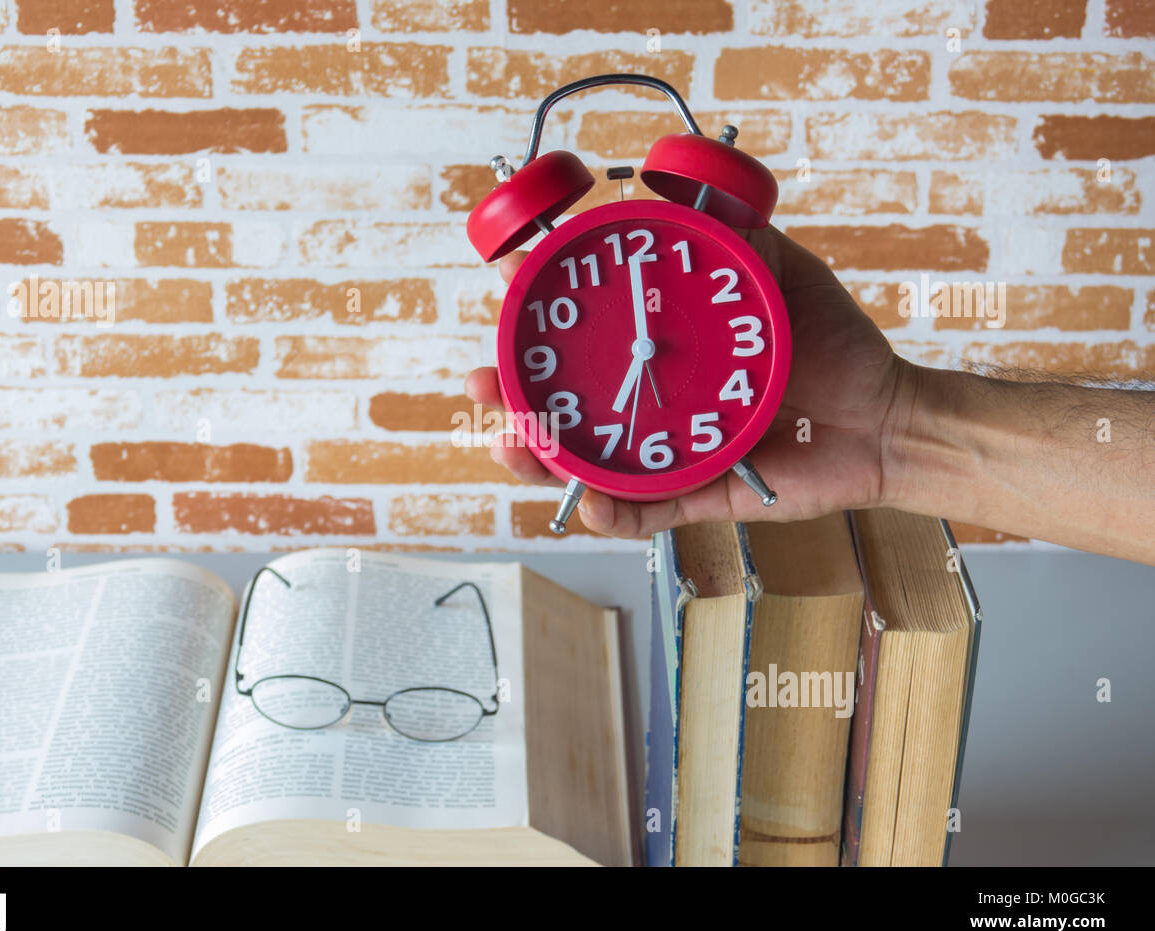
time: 7:00
